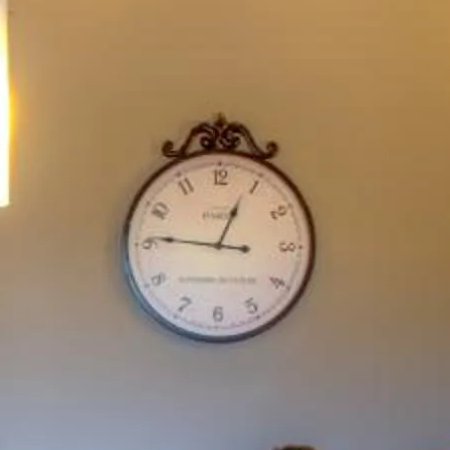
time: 12:46
